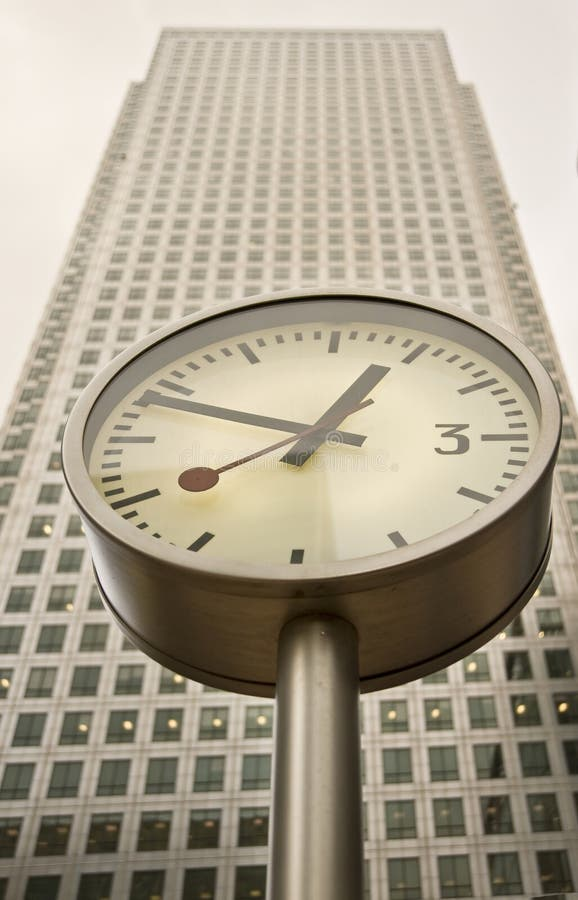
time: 12:48
